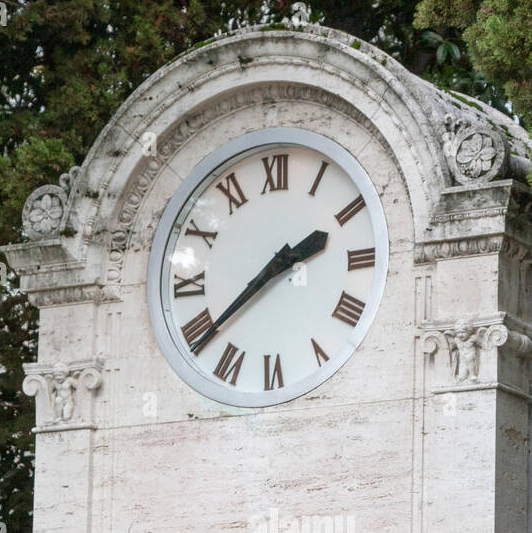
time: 2:38
